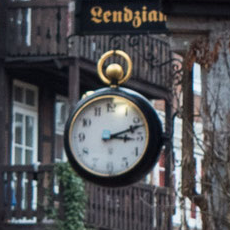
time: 3:11
